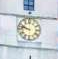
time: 9:47
